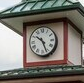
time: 10:26
